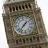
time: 1:37
